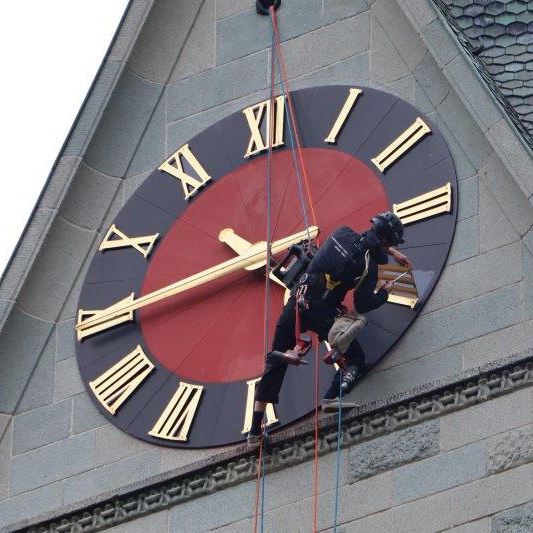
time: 4:44
